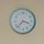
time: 3:37
